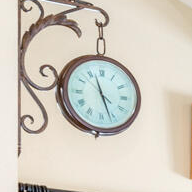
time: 11:26
